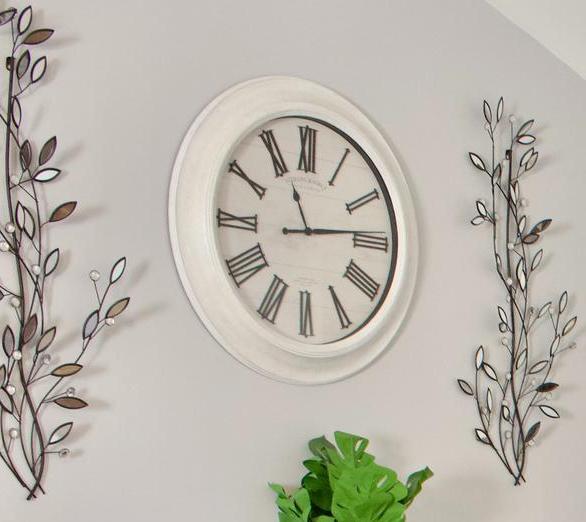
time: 11:13
